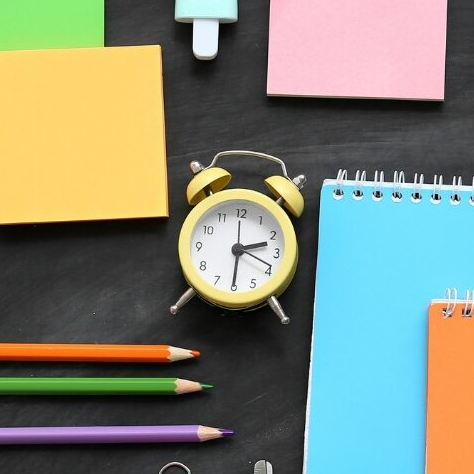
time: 2:30
